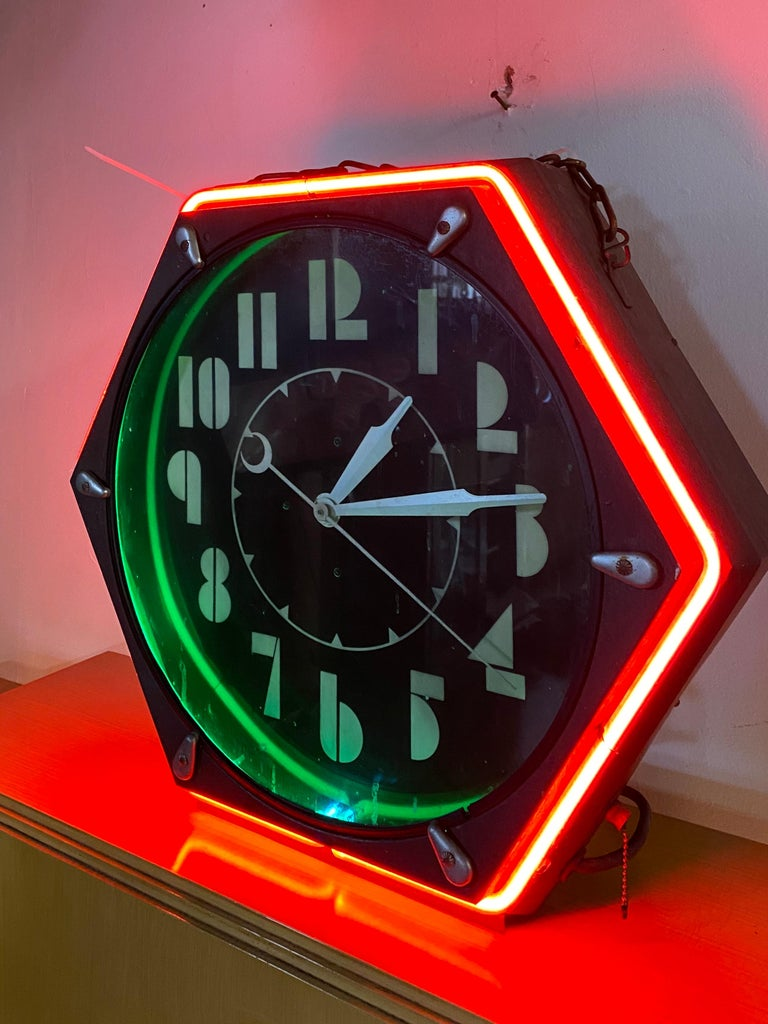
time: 1:13
